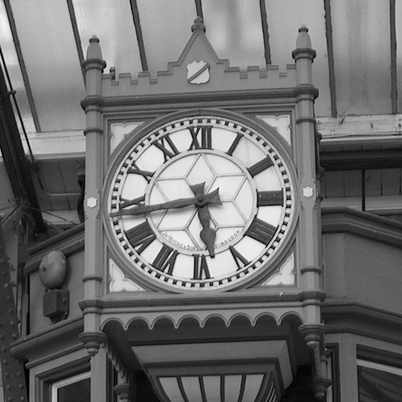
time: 5:43
